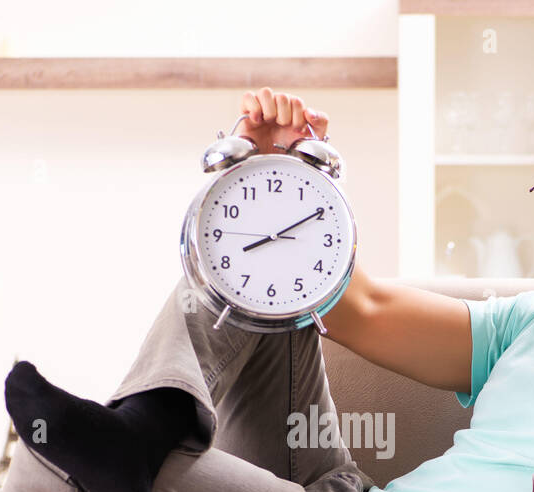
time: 8:09
